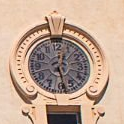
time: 12:28
